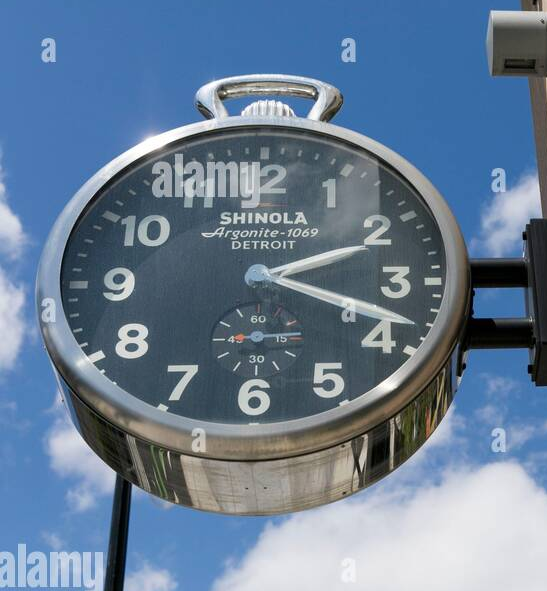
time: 2:18
